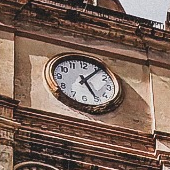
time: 5:06
